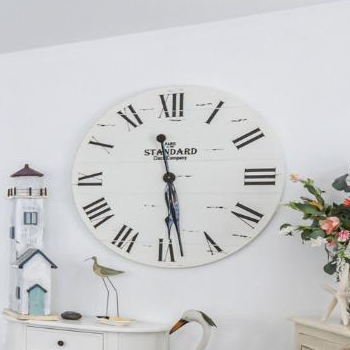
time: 11:28
